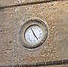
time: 4:56
